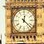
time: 12:21
